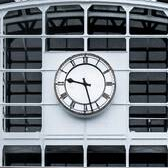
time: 9:27
